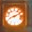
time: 8:11
